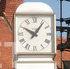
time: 10:06
